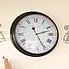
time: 2:25
